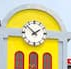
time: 1:52
